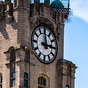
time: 2:59
